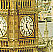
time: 12:24
